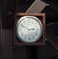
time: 2:49
